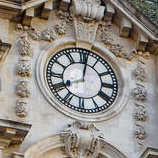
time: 8:01
